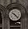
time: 10:22
